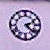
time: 2:23
